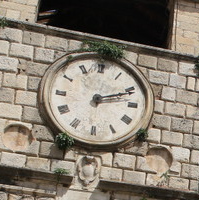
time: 2:11
